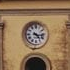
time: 4:16
